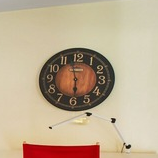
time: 5:57
